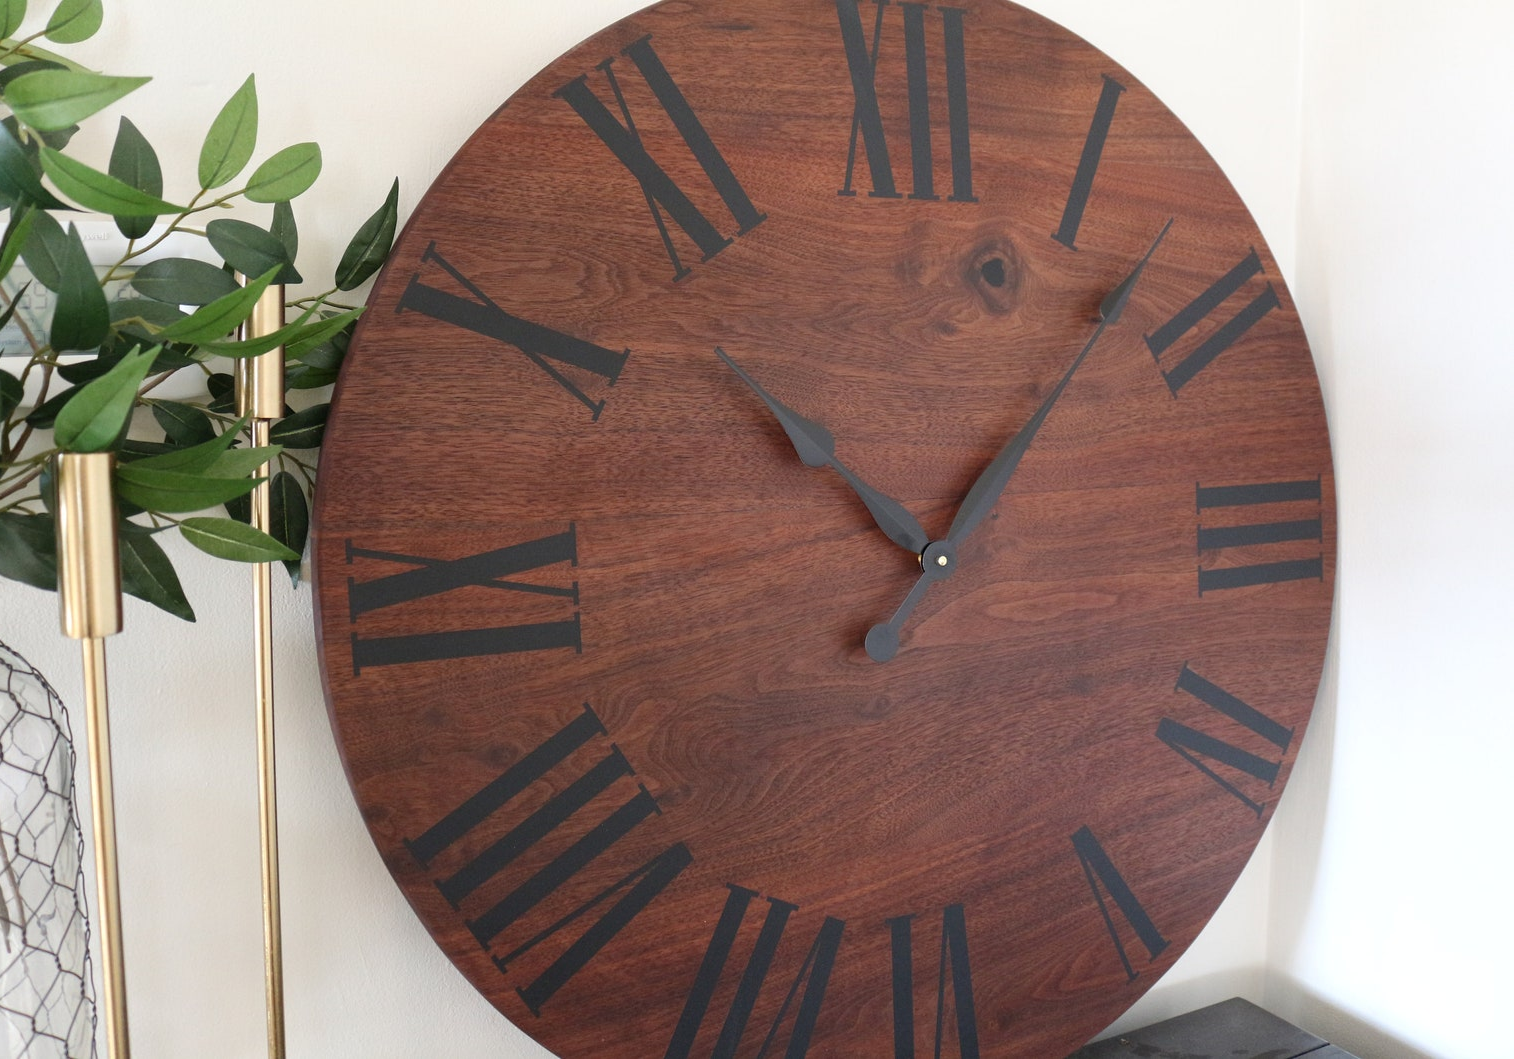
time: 10:07
